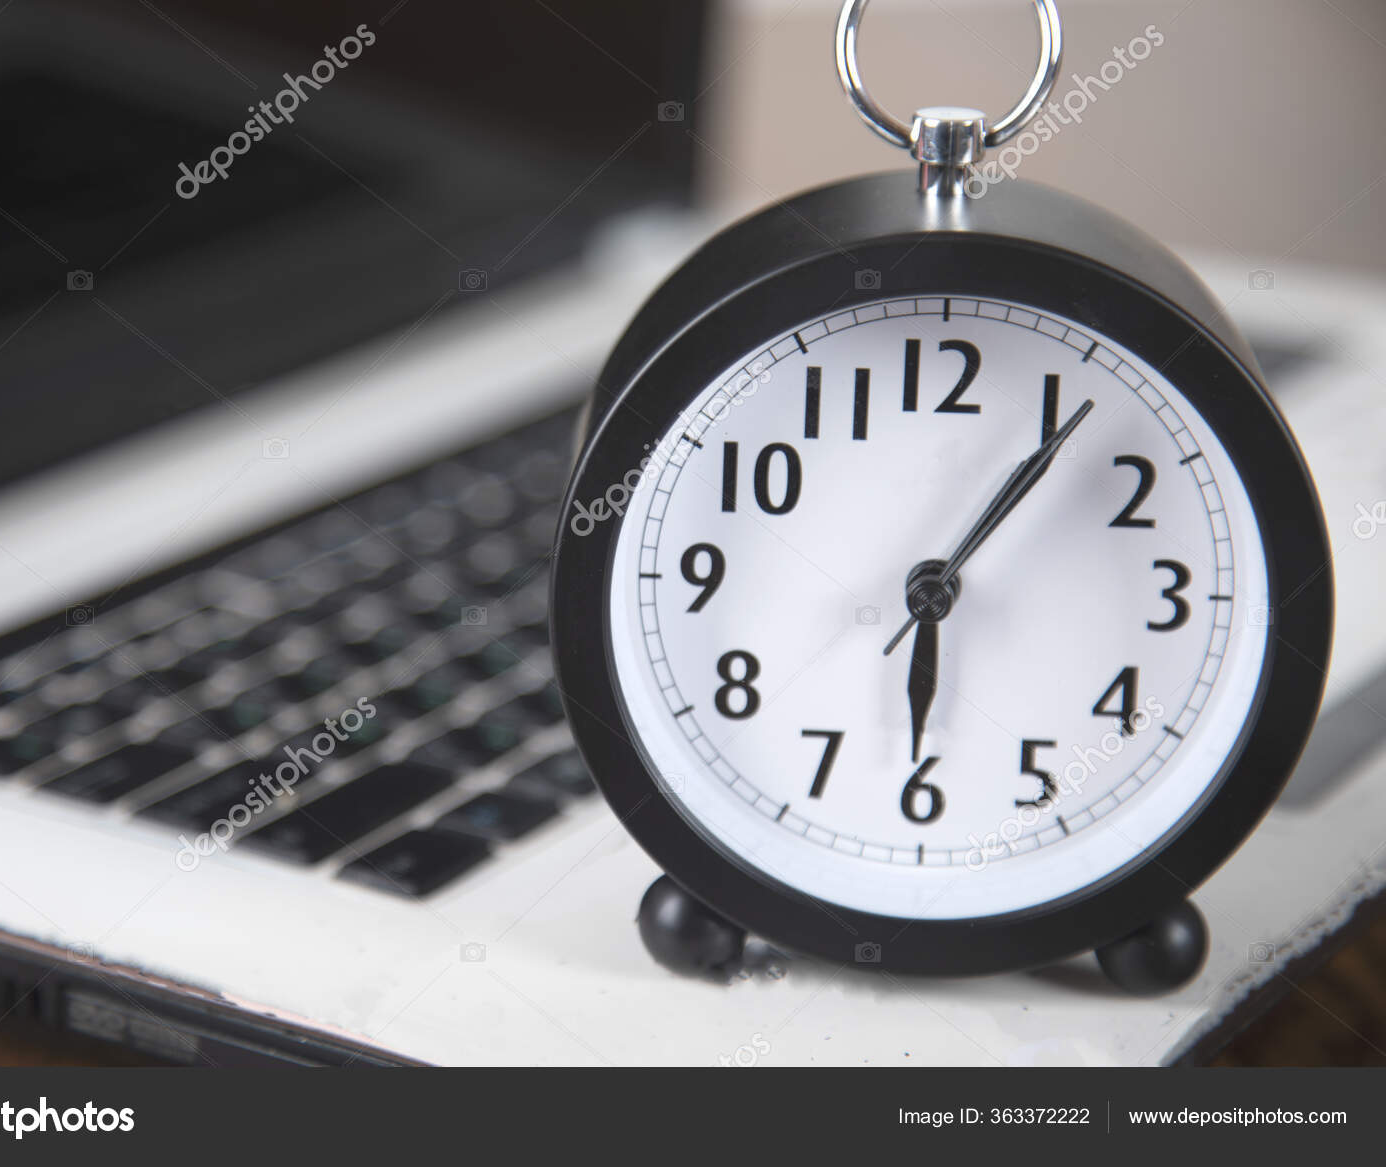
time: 6:06
